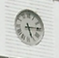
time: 5:14
